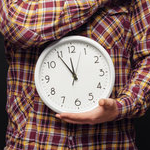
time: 11:54
